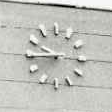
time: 9:44
